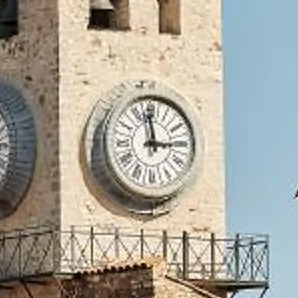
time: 2:58
